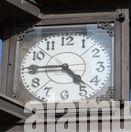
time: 4:45
